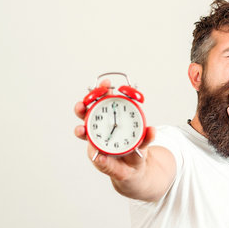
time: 7:00
